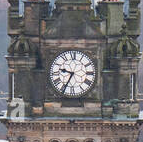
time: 9:34
